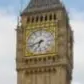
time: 6:41
